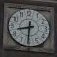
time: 8:31
